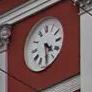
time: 4:29
